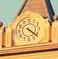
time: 4:21
